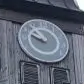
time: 9:53
